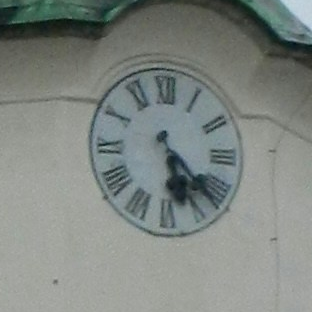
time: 5:22
